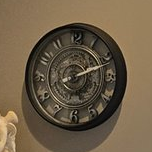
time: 2:11
